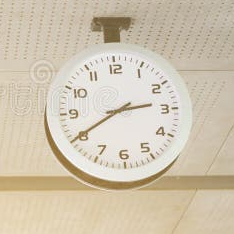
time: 2:40
